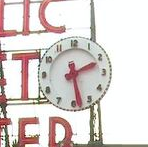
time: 2:28
